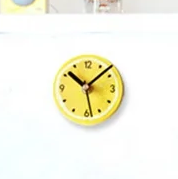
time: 10:07
